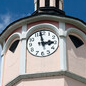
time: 2:58
